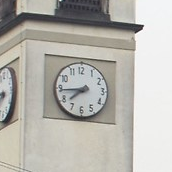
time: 7:44
